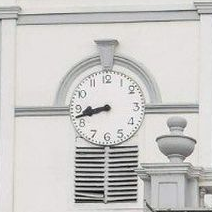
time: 8:42
